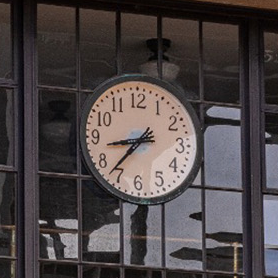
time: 8:37
